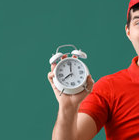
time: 8:01
